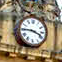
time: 3:45
